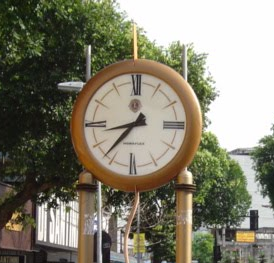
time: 8:36
